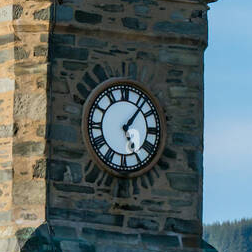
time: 5:06
